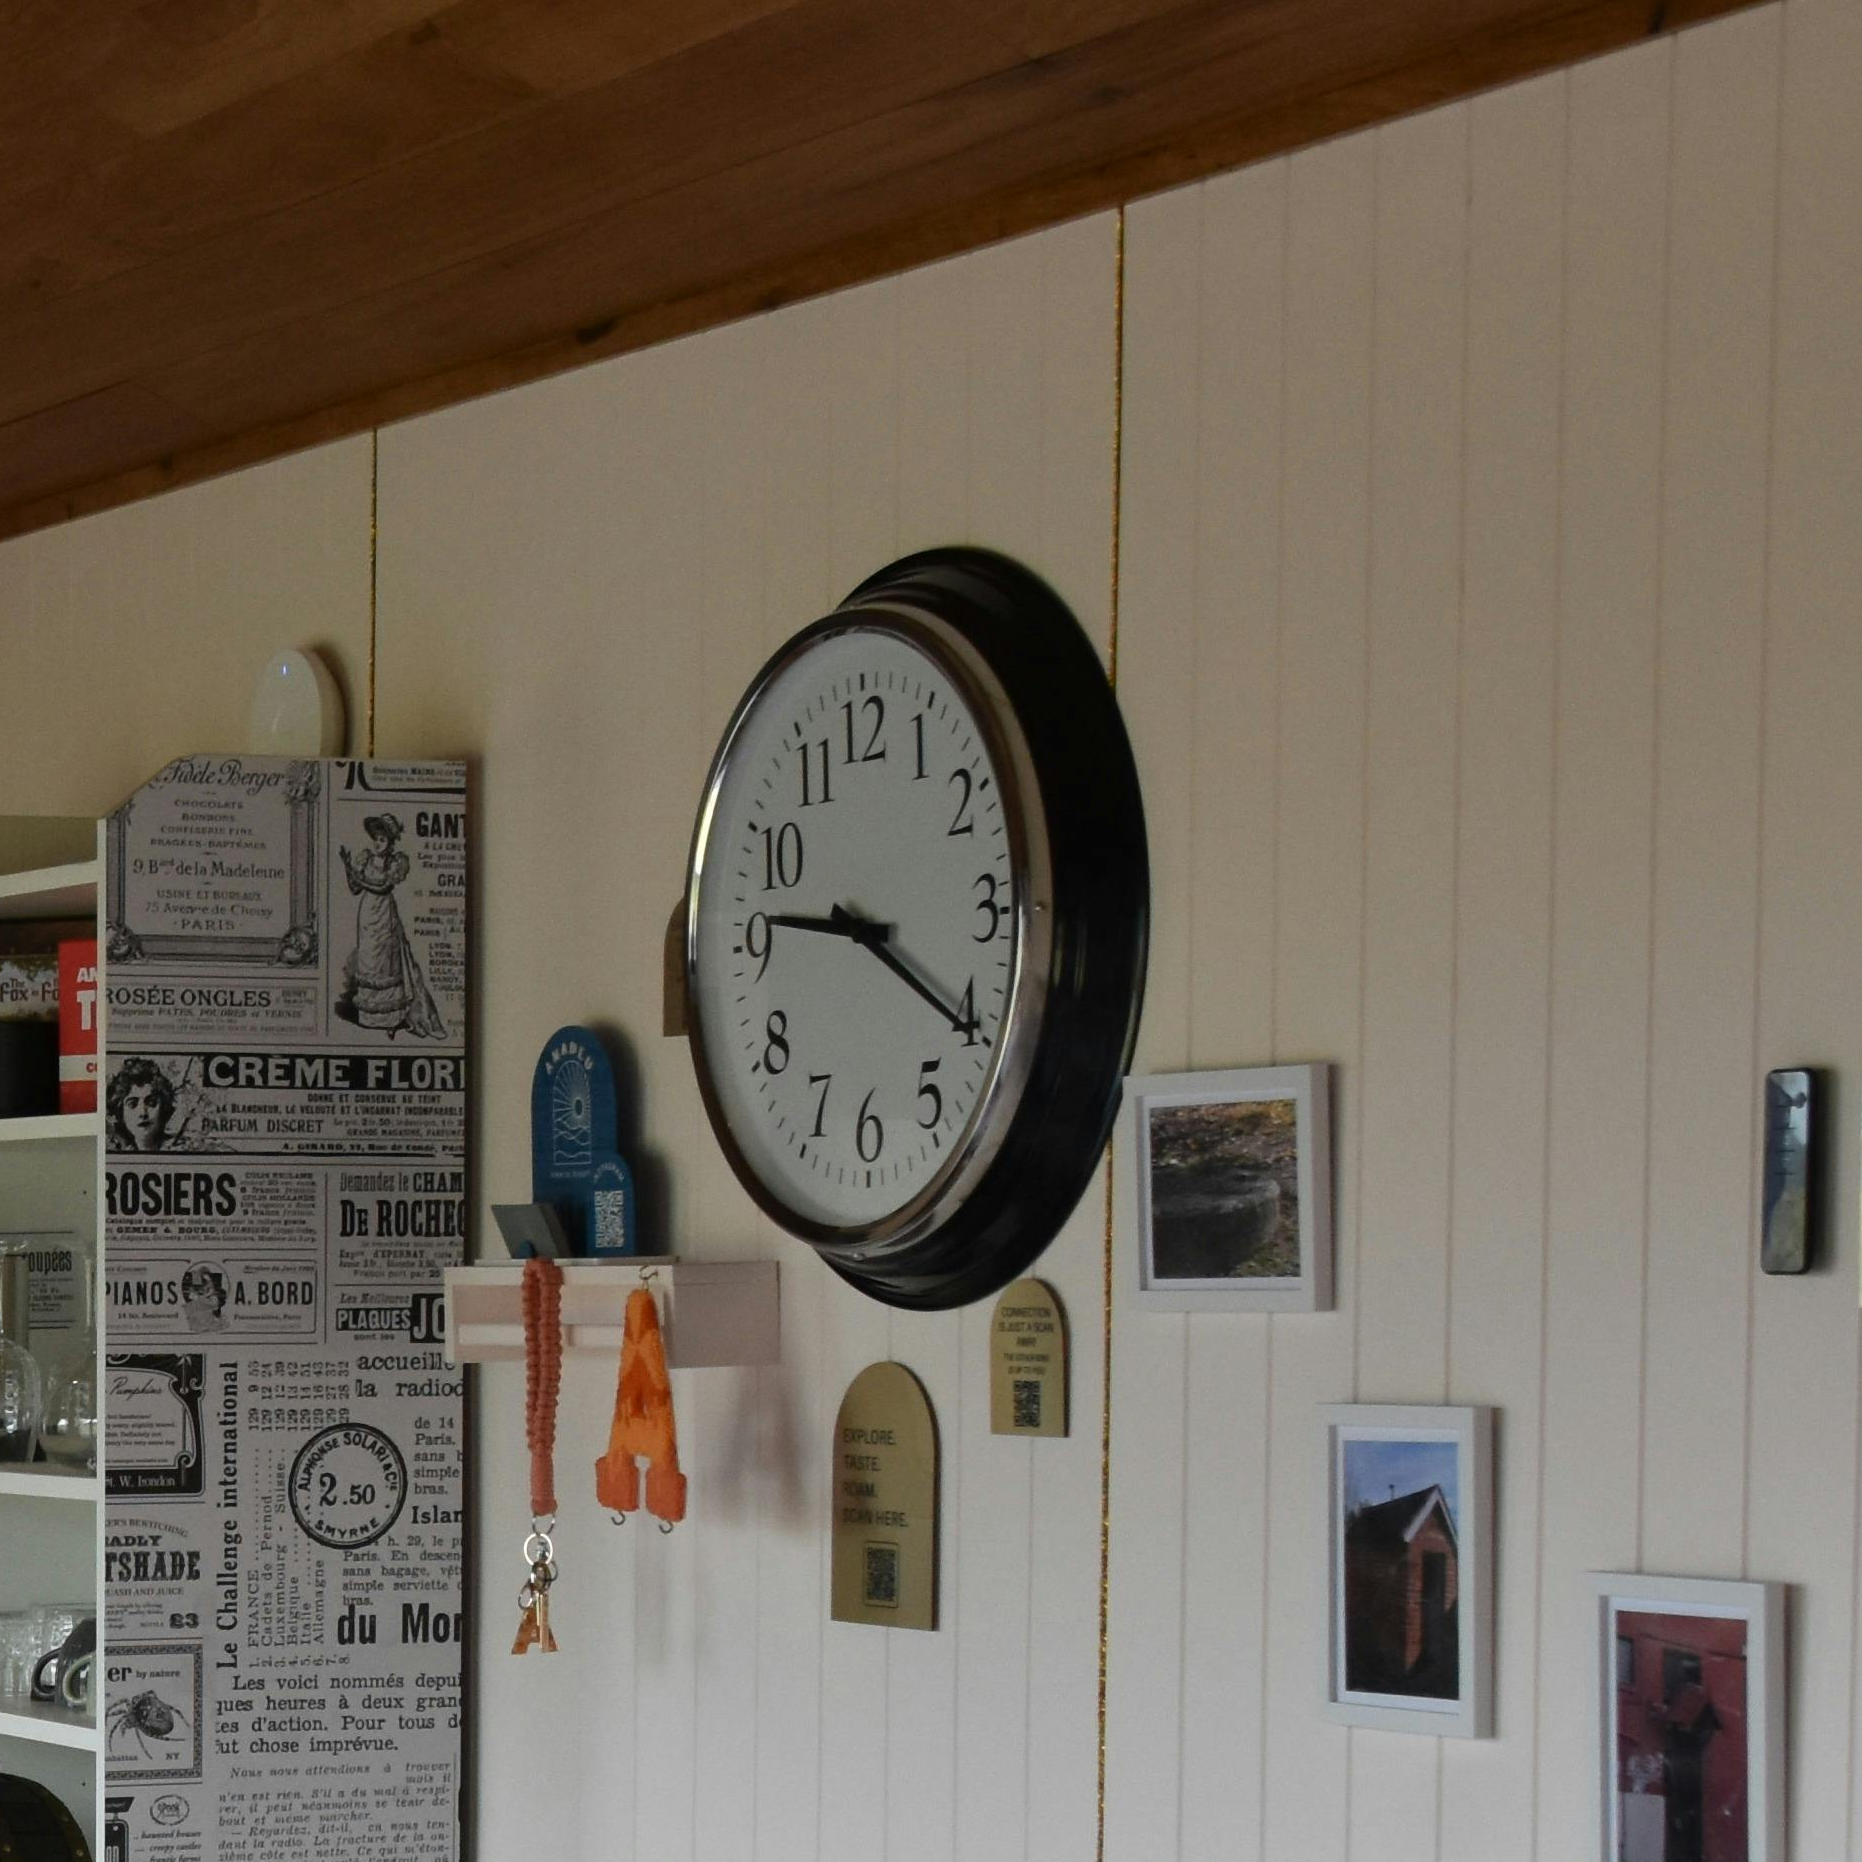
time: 9:20
